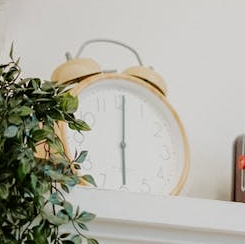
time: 6:00
